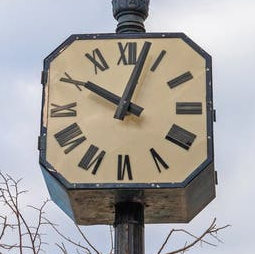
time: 10:02
